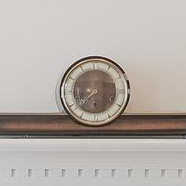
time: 7:37
